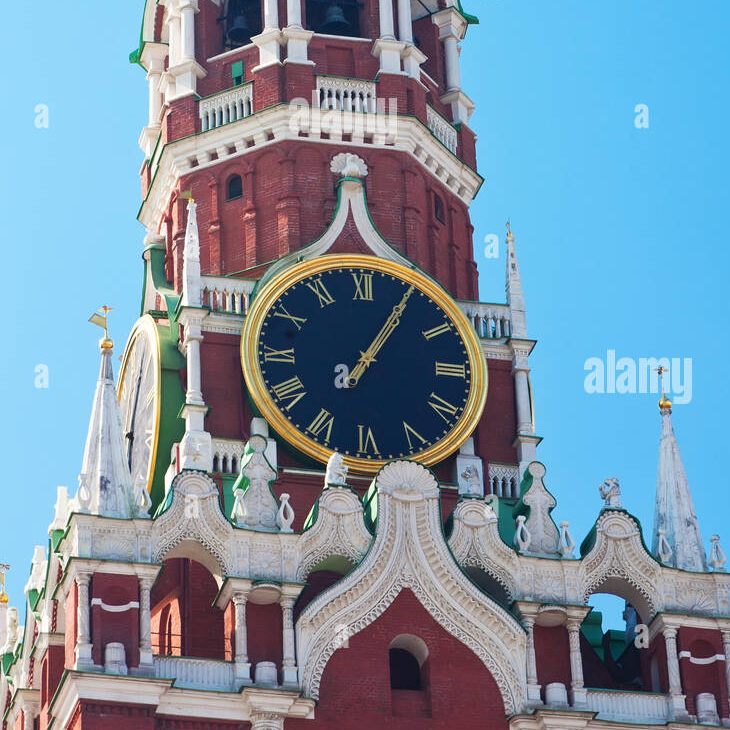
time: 1:05
